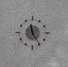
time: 11:24
